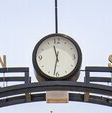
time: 11:31
